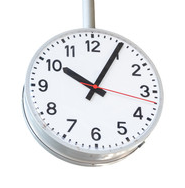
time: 10:04
